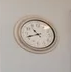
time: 10:41
